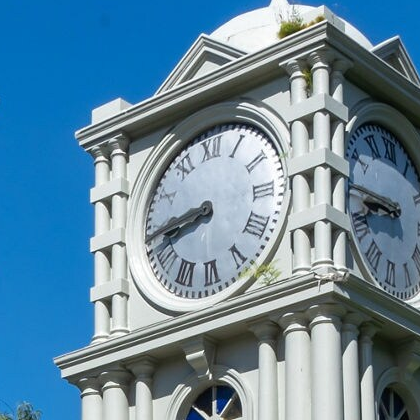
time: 8:41
